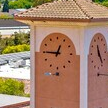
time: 12:45
